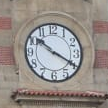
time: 10:20
